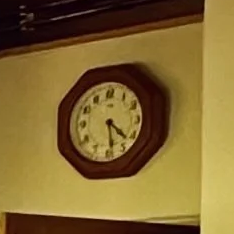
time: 4:28
